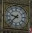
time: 9:37
